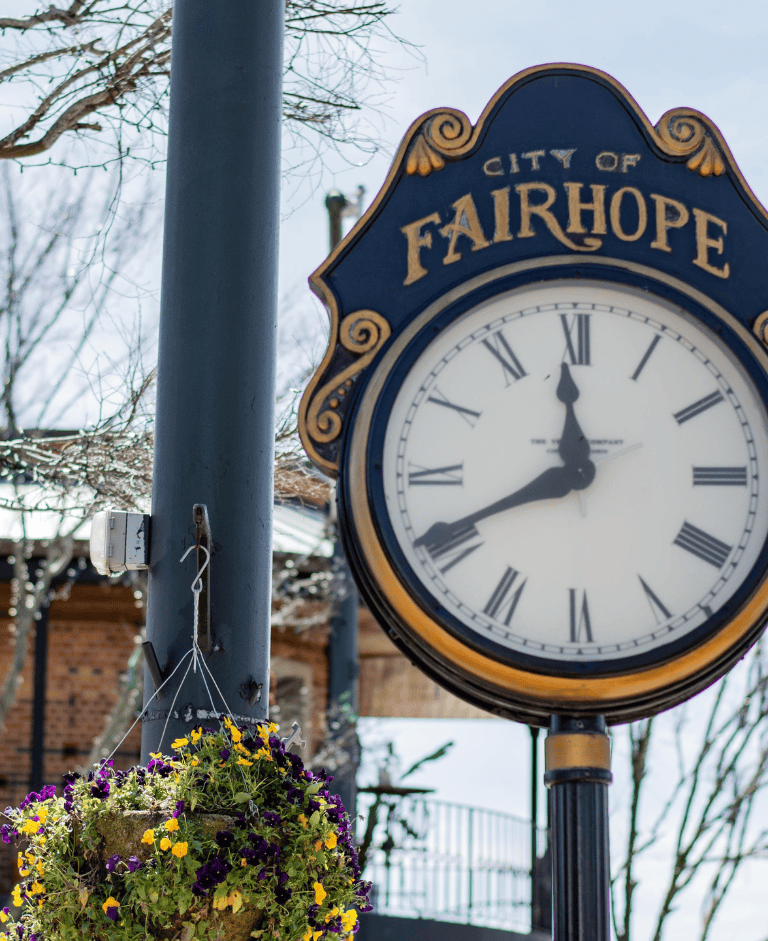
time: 11:40
